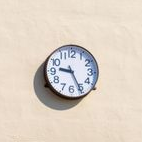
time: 9:25
